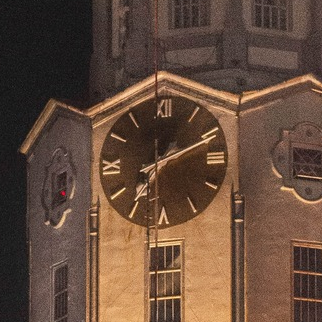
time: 7:11
